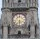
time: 6:18
